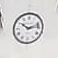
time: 10:12
